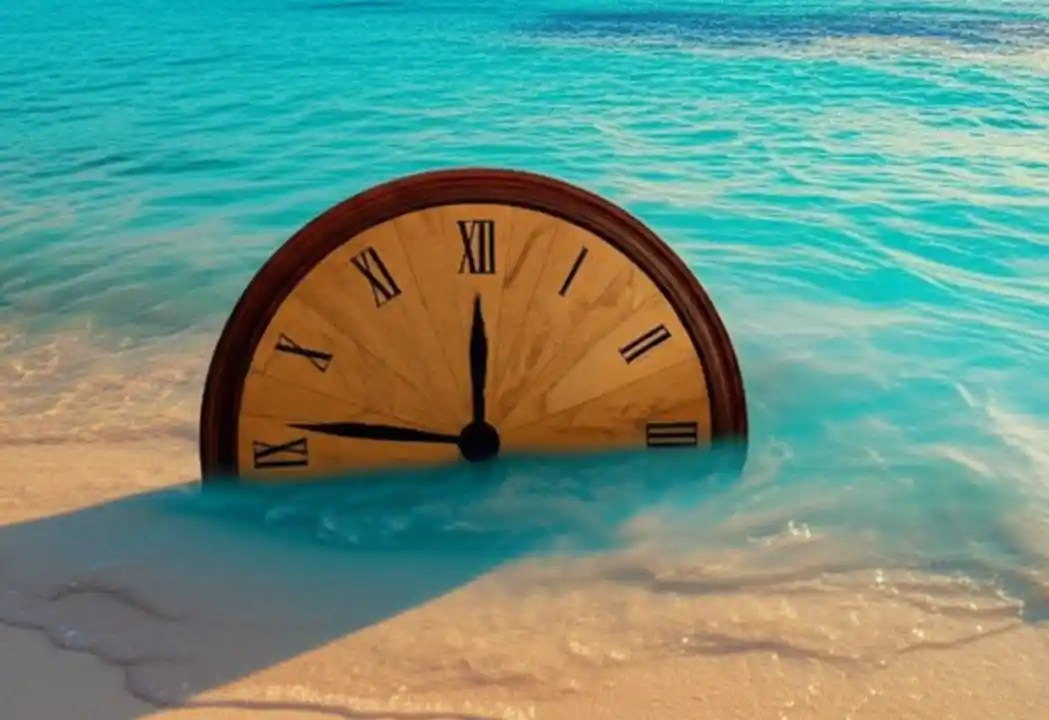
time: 11:46
